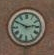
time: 2:49
